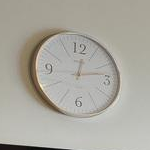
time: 12:13
